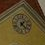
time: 1:22
